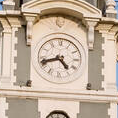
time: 4:42
